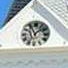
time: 11:07
